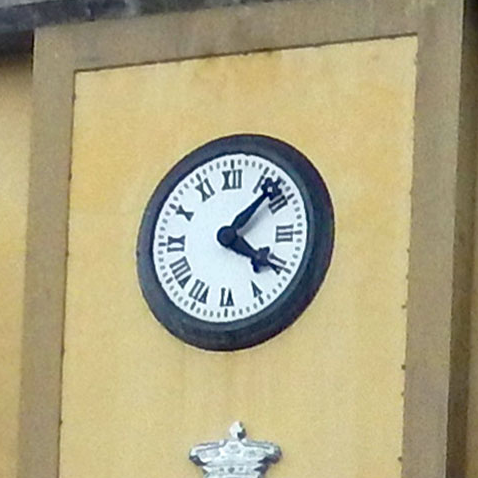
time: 4:07
